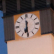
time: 6:29
